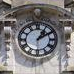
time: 1:09
